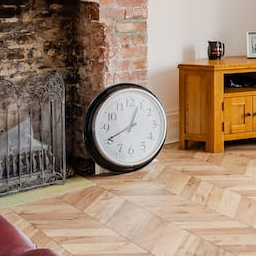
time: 12:40
